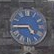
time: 4:44
